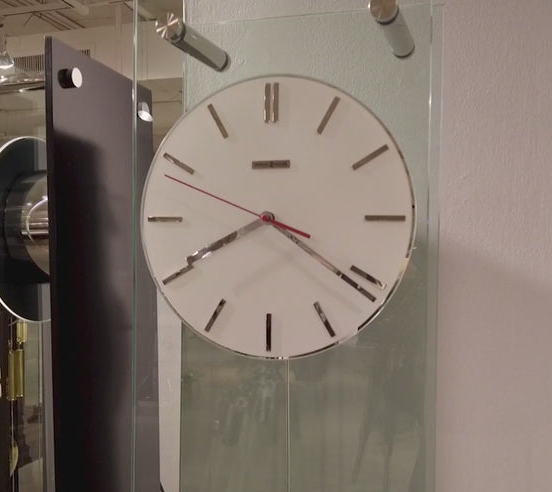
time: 8:20
